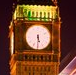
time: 5:30
